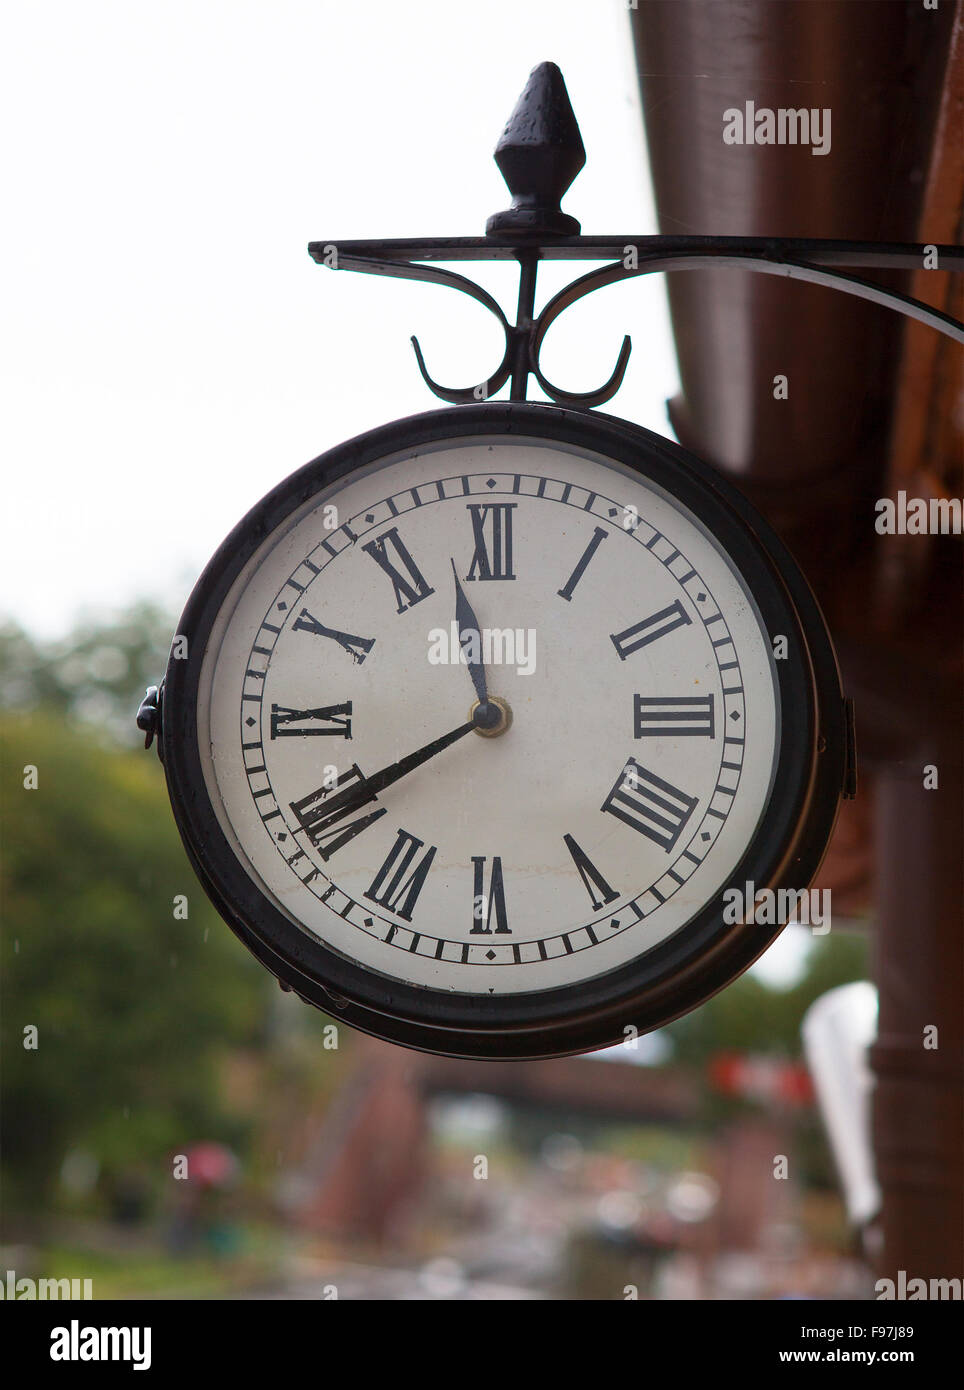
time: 11:39
